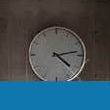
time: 4:12
